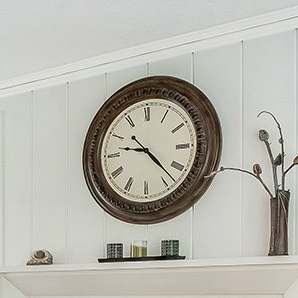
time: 9:22
